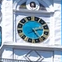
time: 2:23
